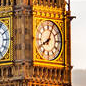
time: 8:04
